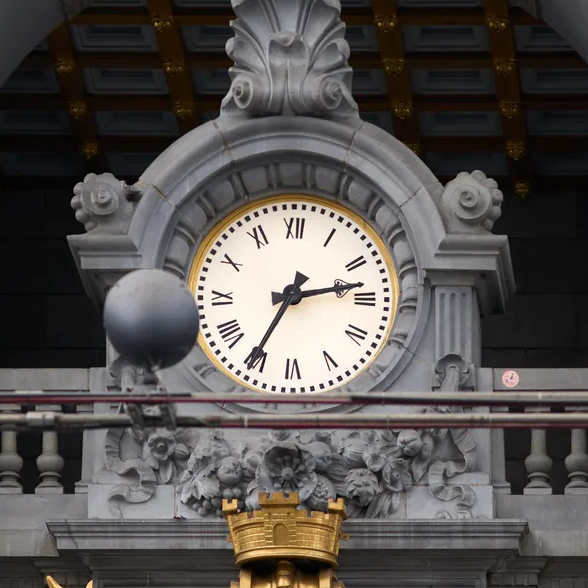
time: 2:35
